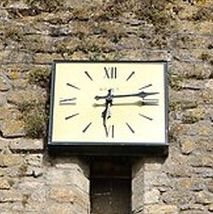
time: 6:14
